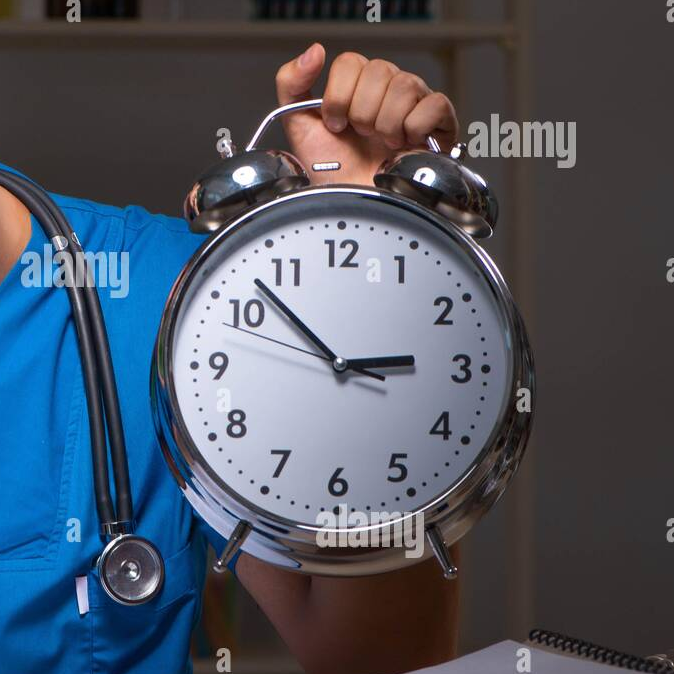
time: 2:52
